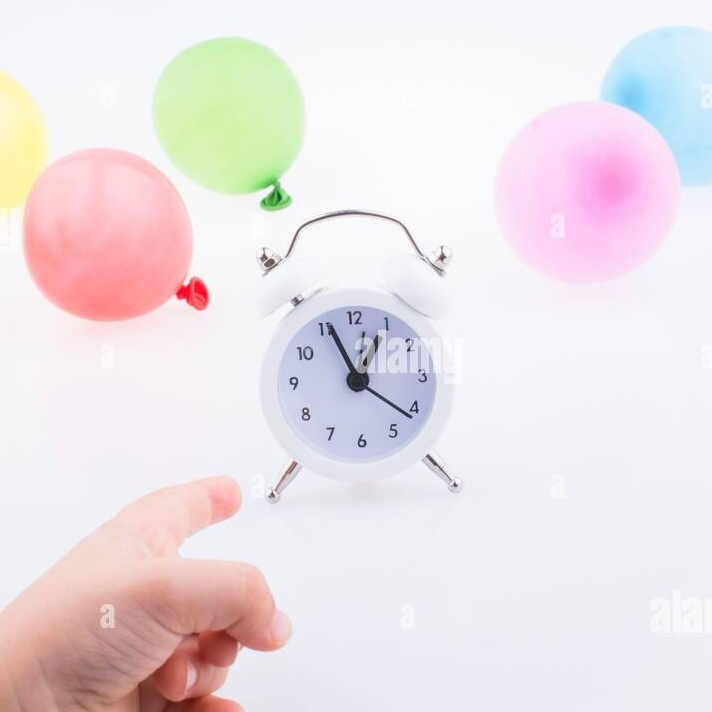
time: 12:56
